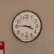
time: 3:45
